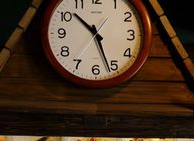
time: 10:26
